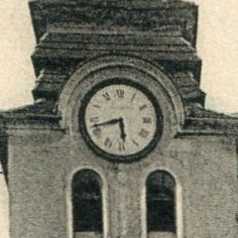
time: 5:42
